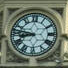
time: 8:47
